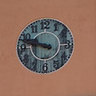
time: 9:48
